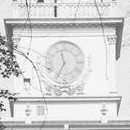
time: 11:34
